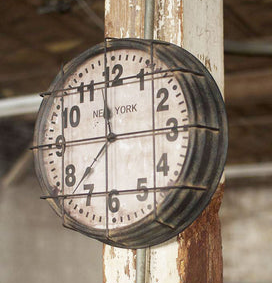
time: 11:37
